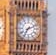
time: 7:11
